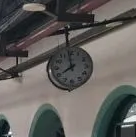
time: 7:59
